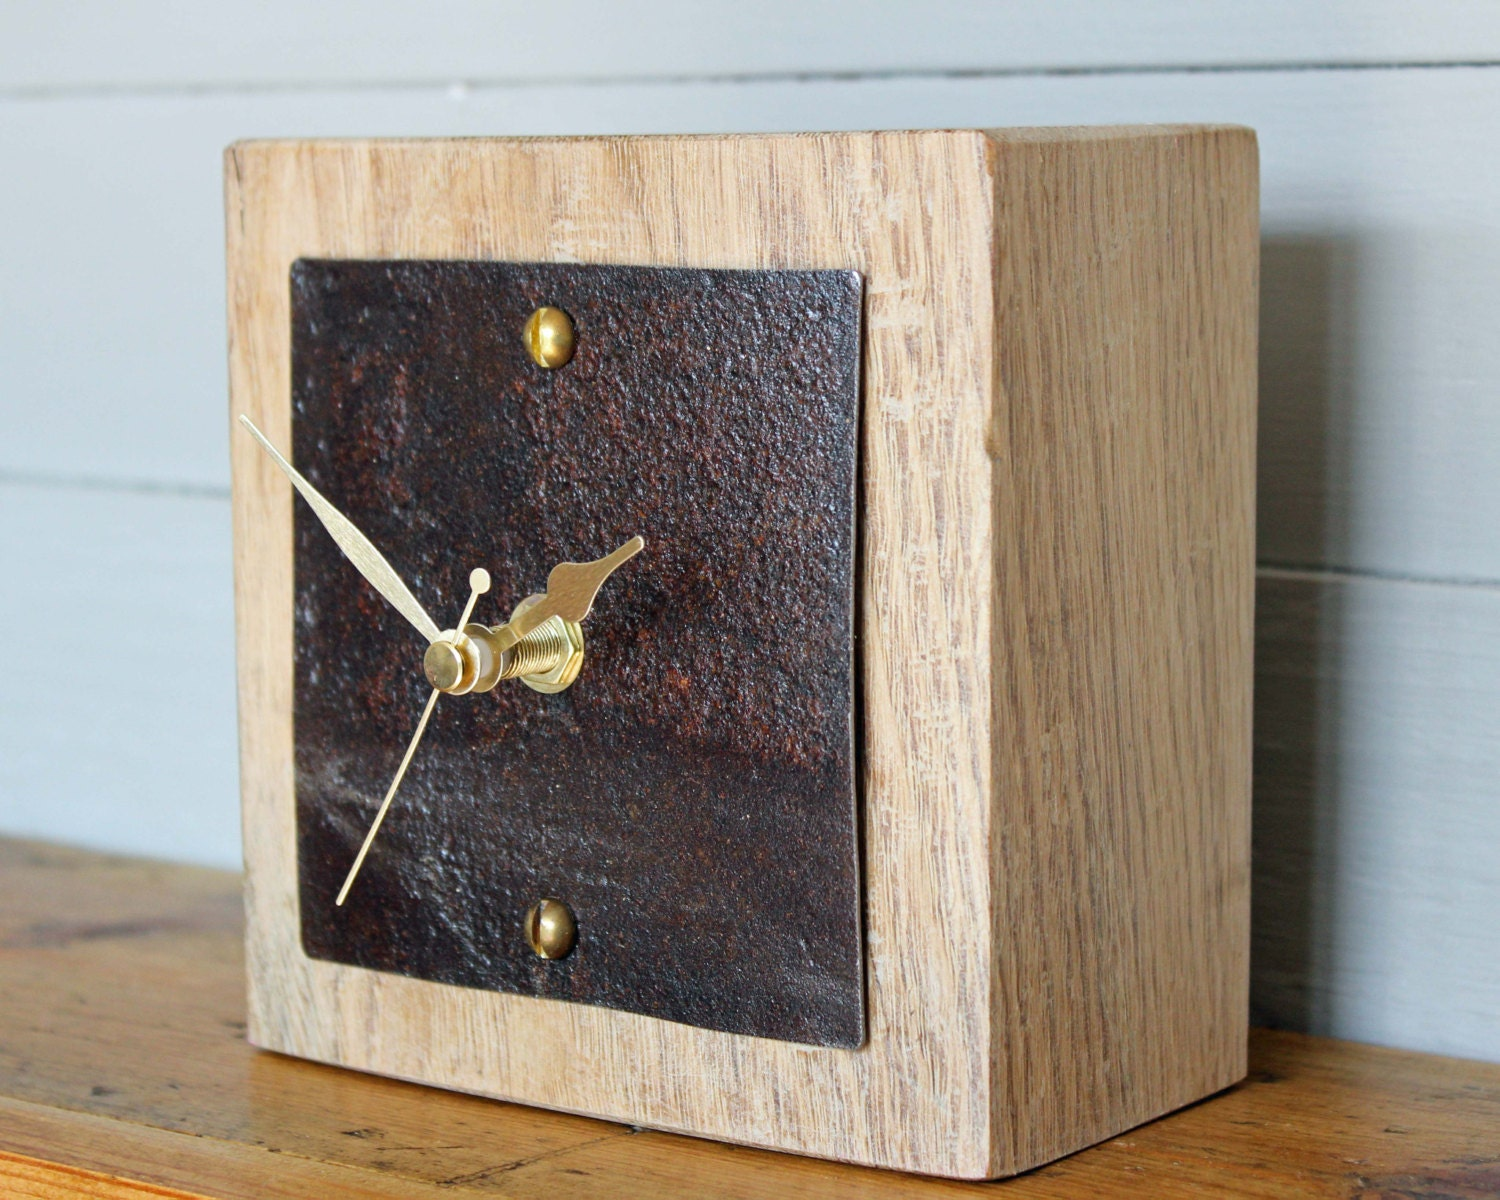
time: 1:50
